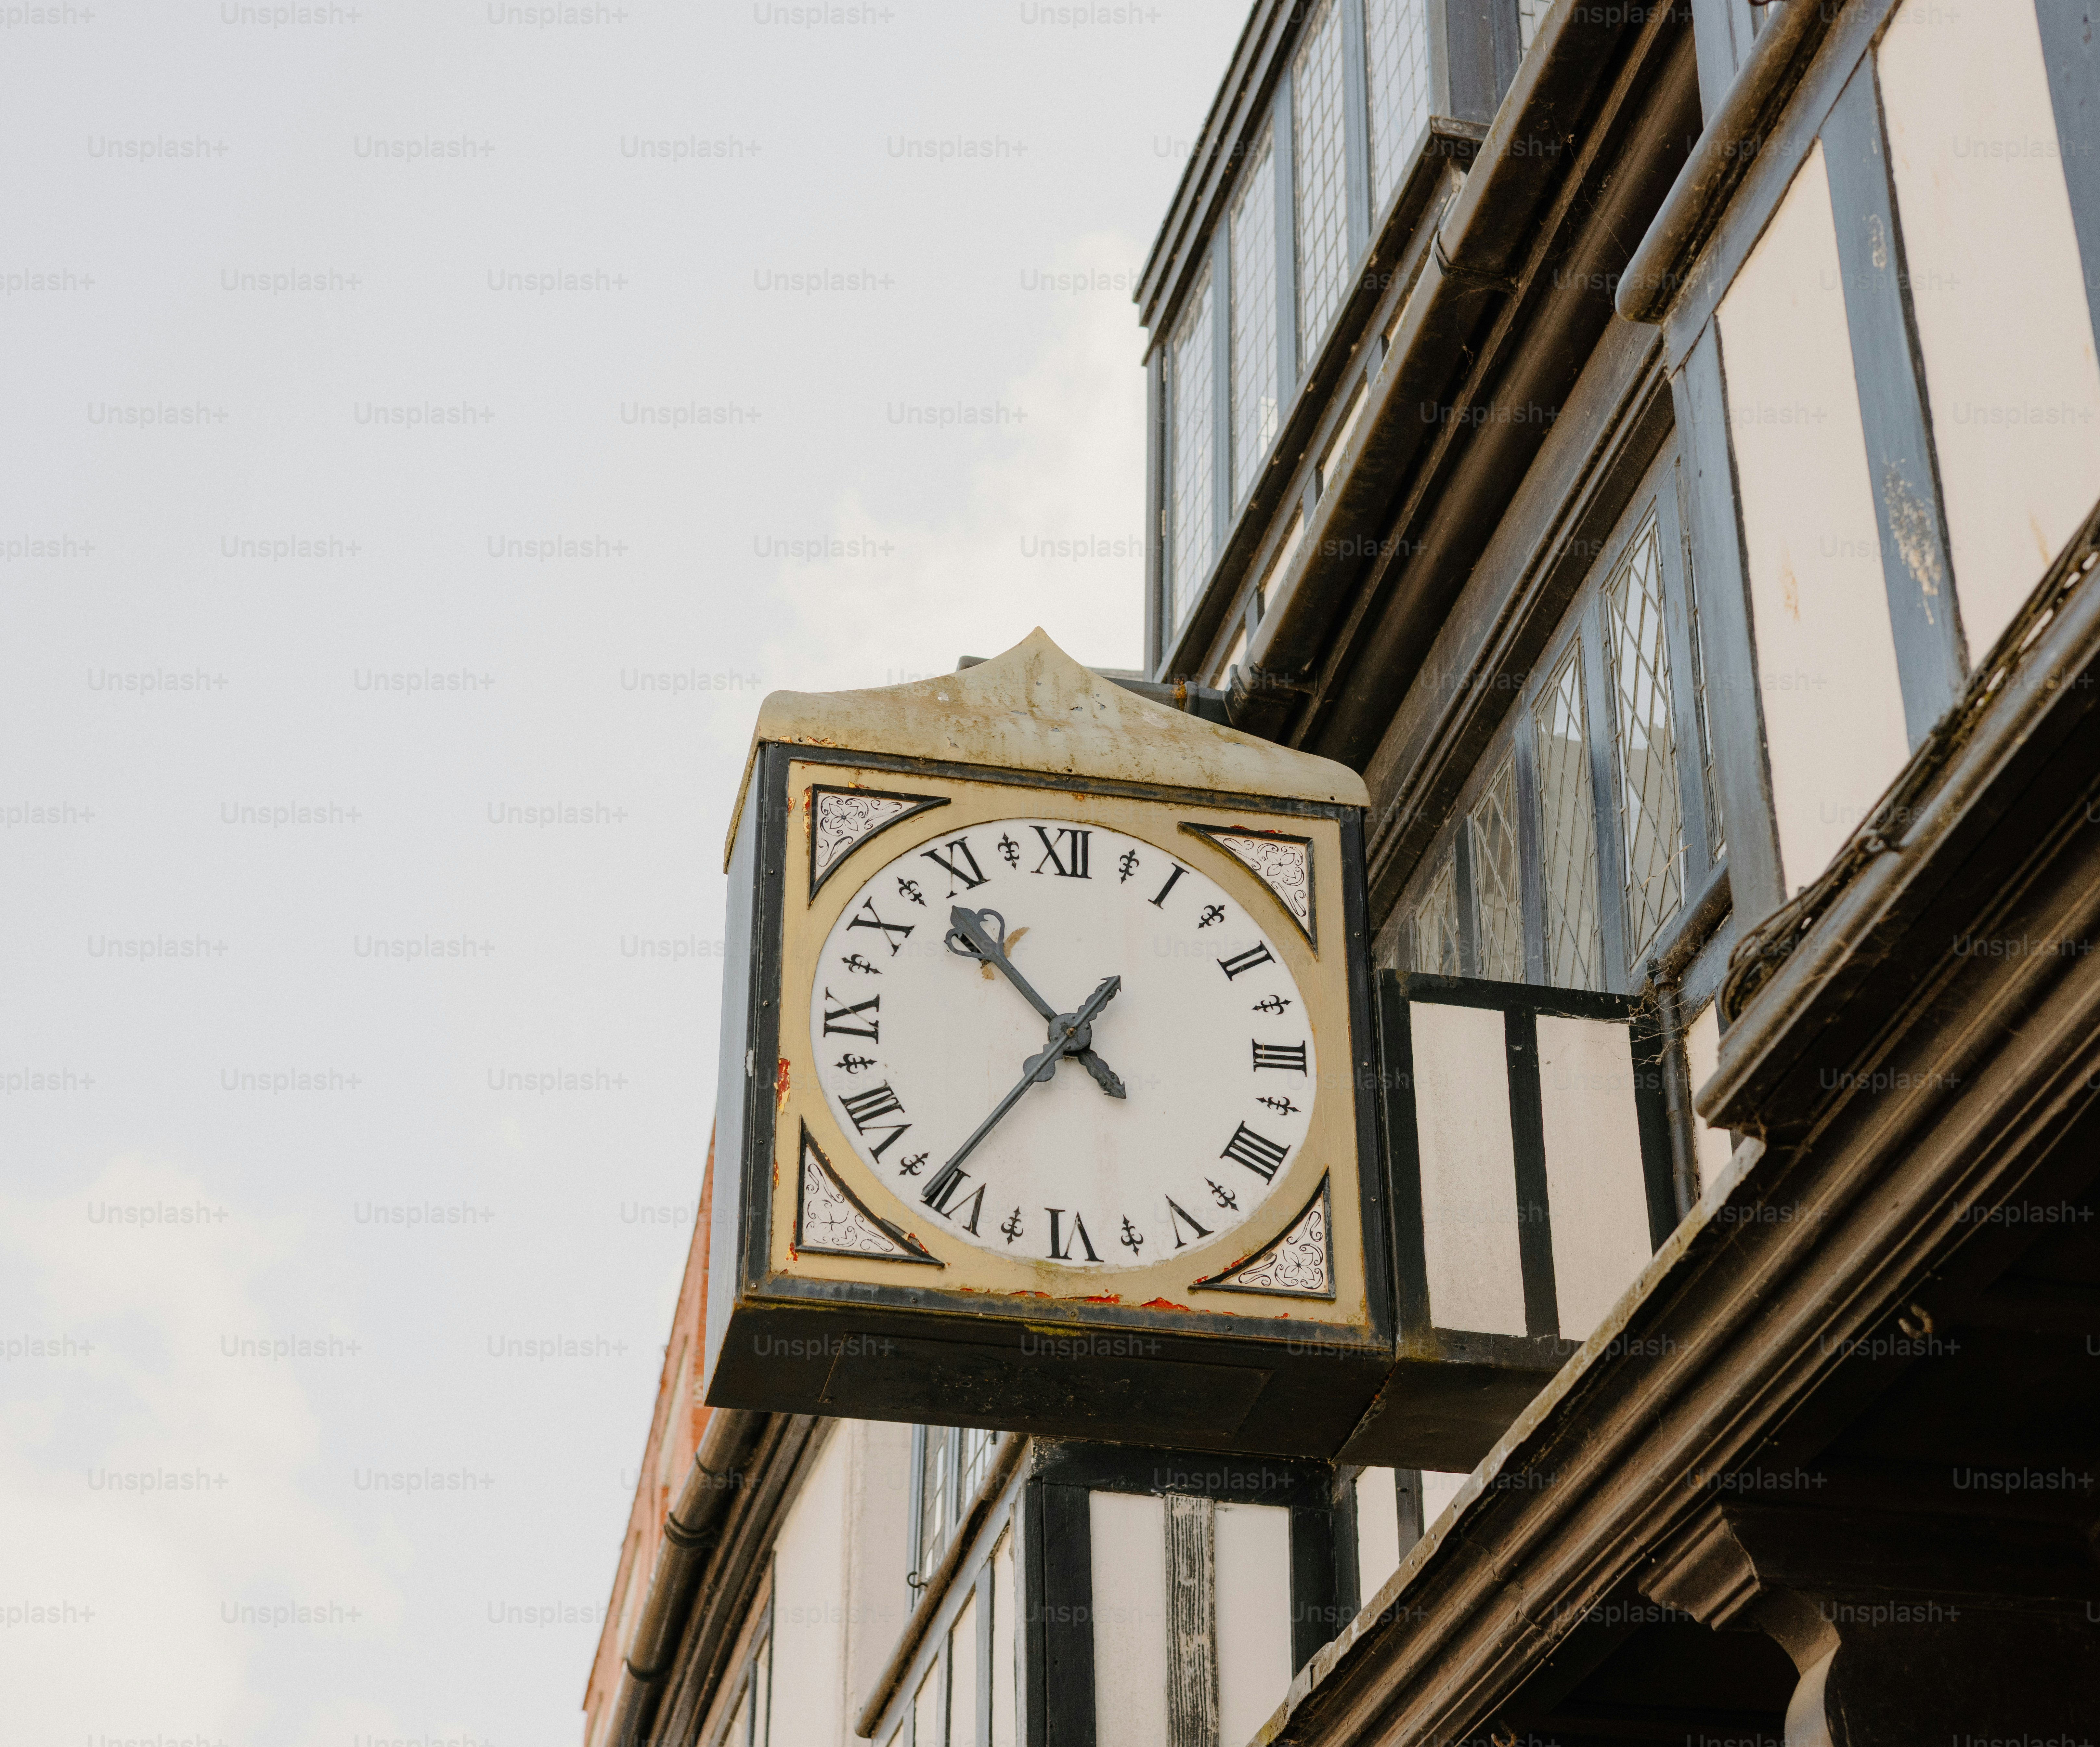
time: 10:36
